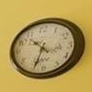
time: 10:33
